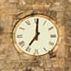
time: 7:00
